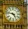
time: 4:47
